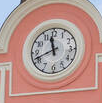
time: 11:41
